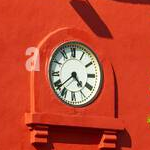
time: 4:38
